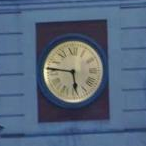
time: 5:46
